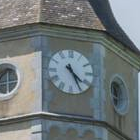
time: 4:25
